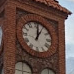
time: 1:01
